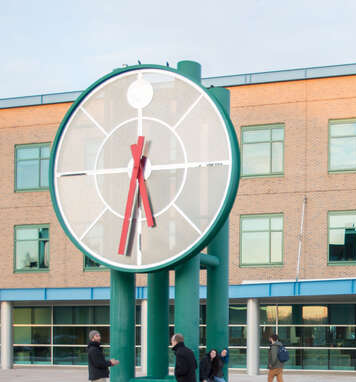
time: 5:31
